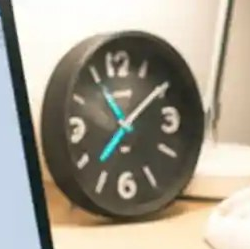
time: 7:09
